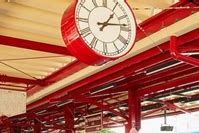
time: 1:13
